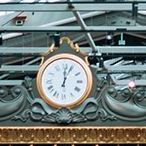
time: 12:04
